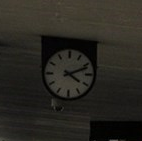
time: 4:11
